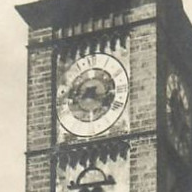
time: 8:19
